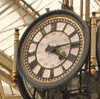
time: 4:14
